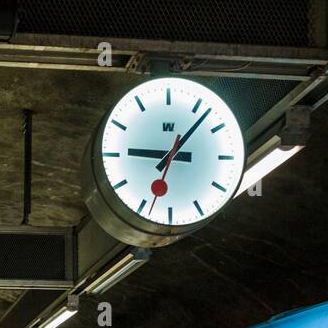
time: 9:07
